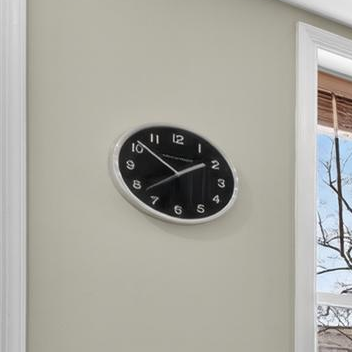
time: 5:51
